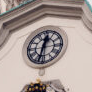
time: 12:32
